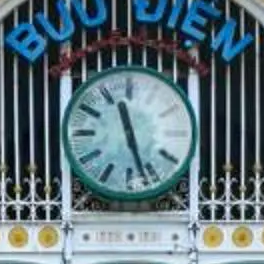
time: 11:26
